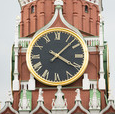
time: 4:07
